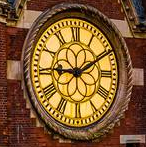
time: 9:10
